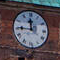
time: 11:45
